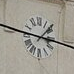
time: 1:46
